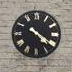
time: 4:20
